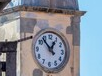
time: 12:53
